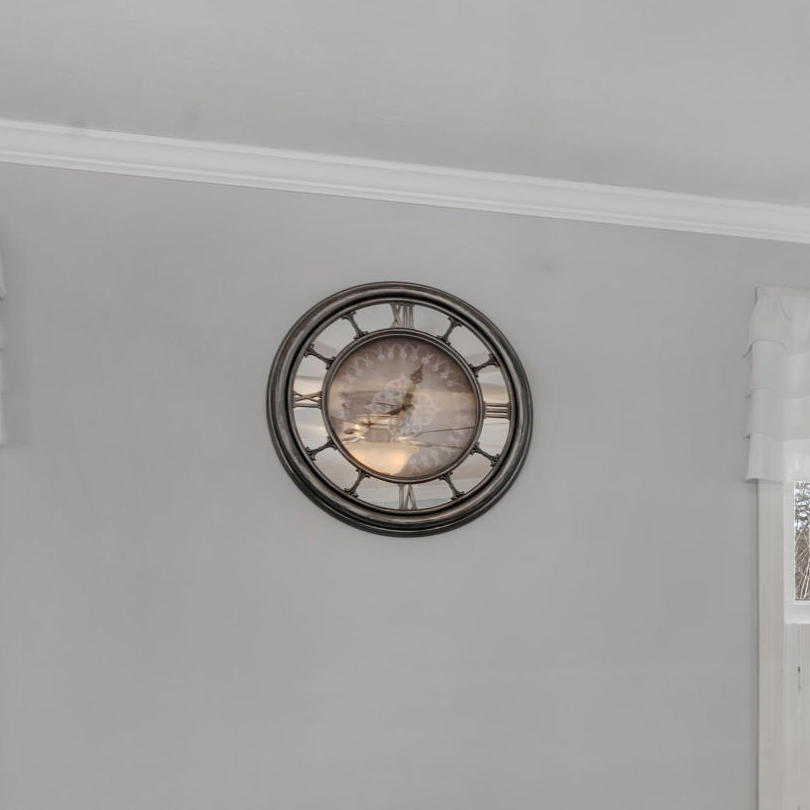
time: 8:04
